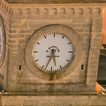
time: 5:33
